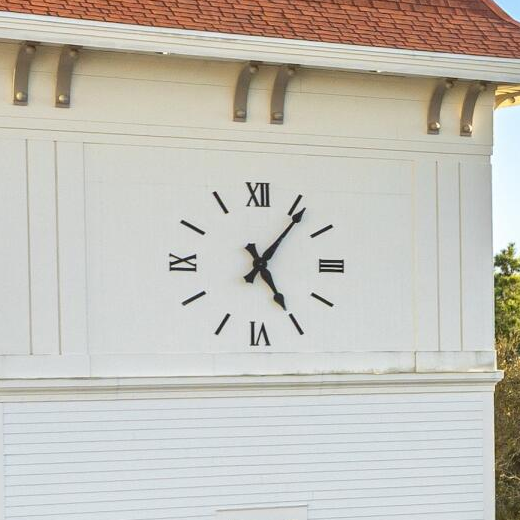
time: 5:06
